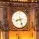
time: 8:26
